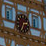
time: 2:33
